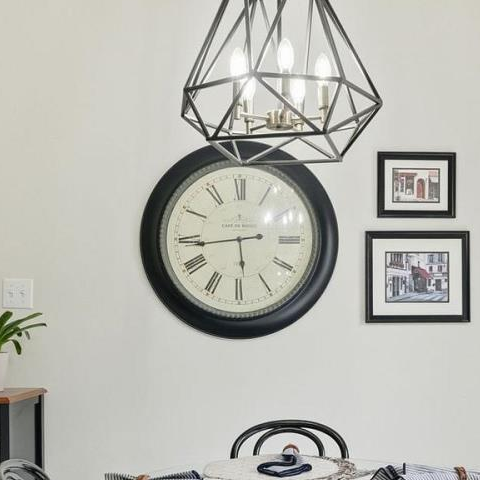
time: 5:43
